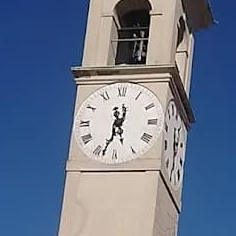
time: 5:33
